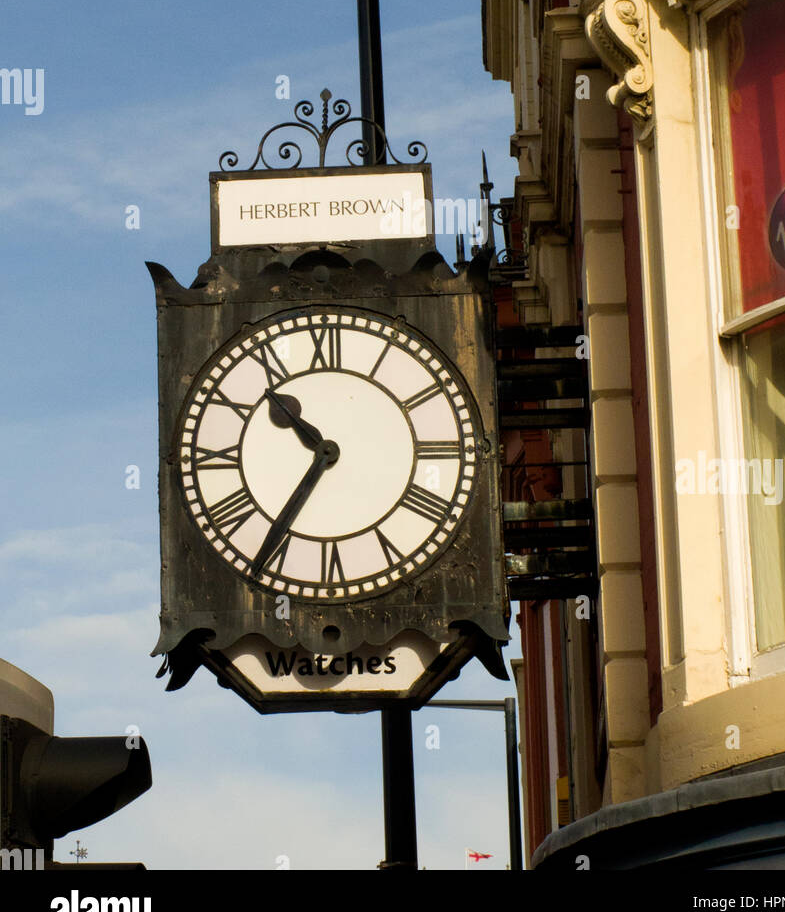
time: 10:35
